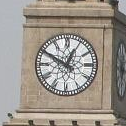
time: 12:49
